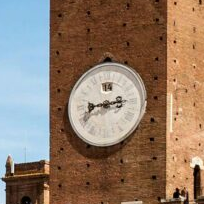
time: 8:13
